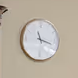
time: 11:17
